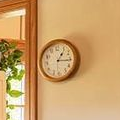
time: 1:16
